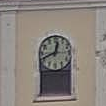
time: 12:41
